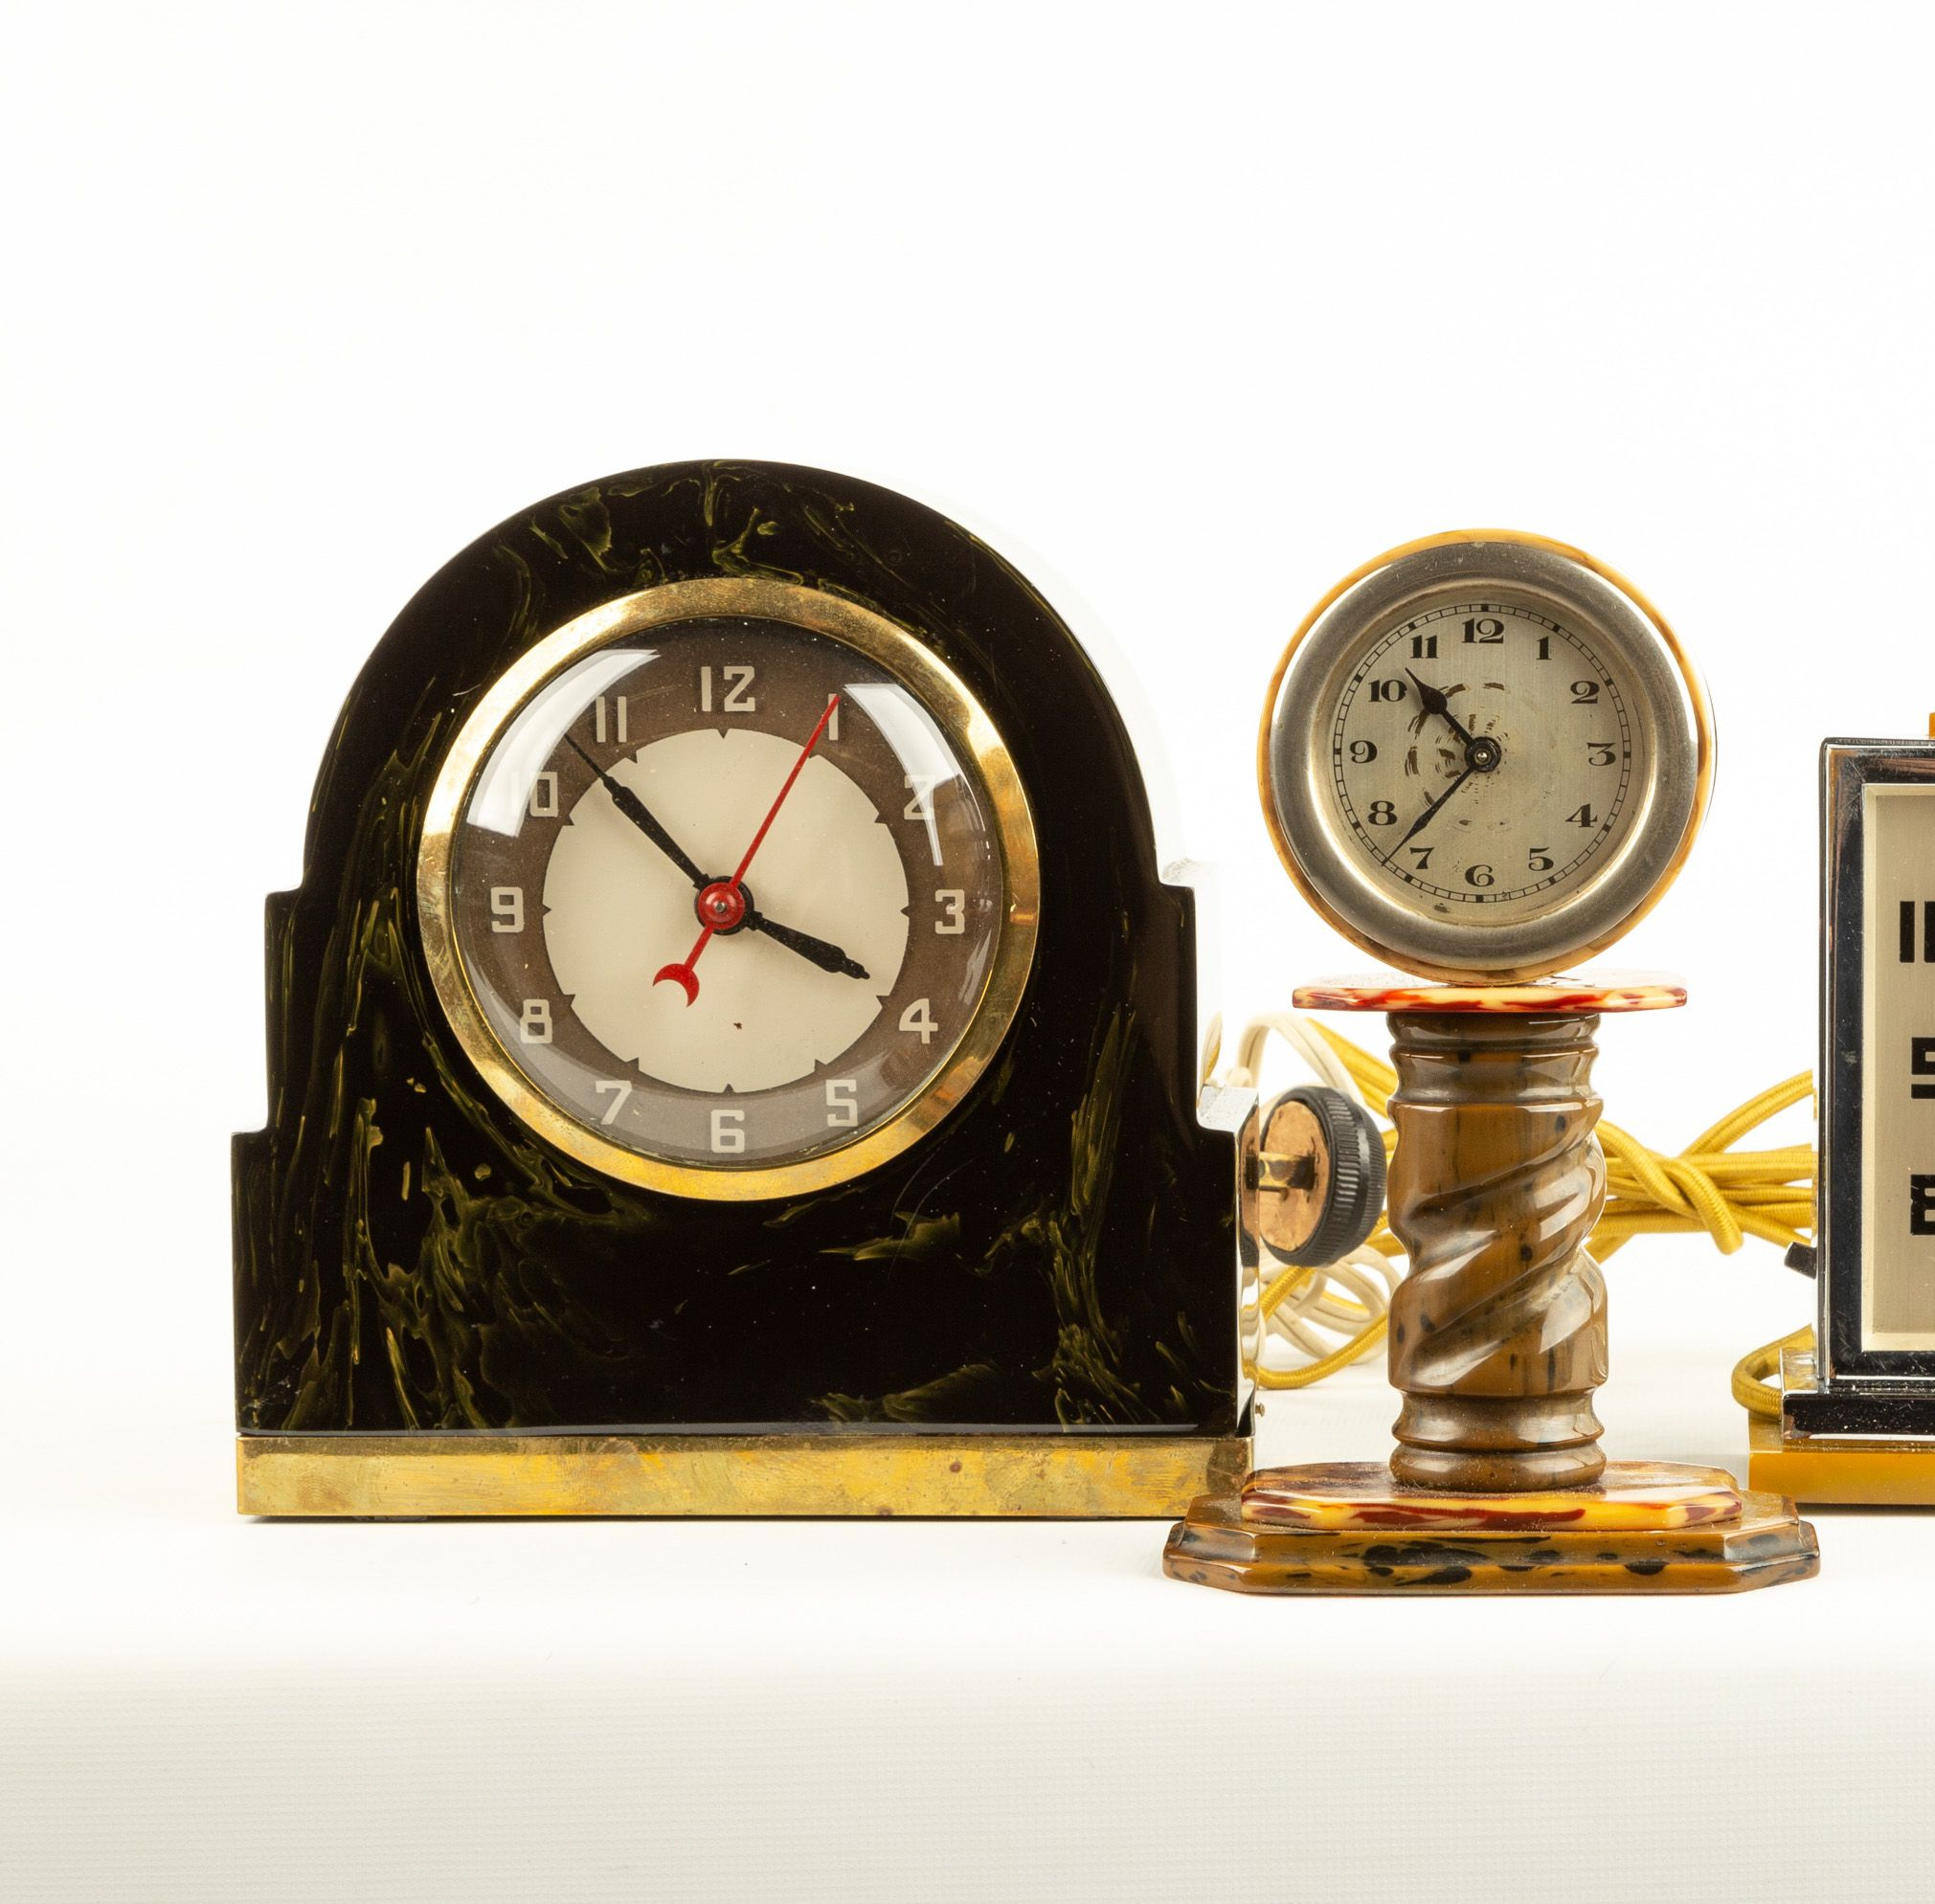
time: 3:52
